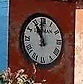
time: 10:59
